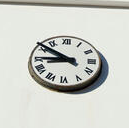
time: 8:51
